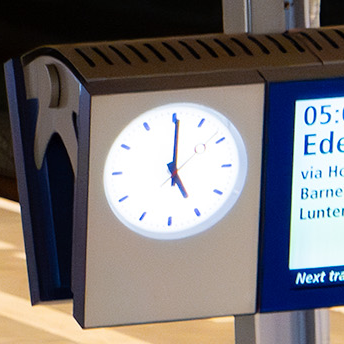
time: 5:00
